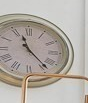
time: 11:23
